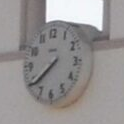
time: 7:38
